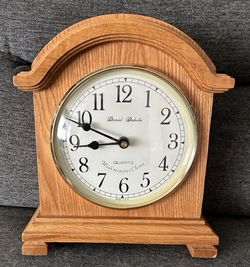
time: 8:48
